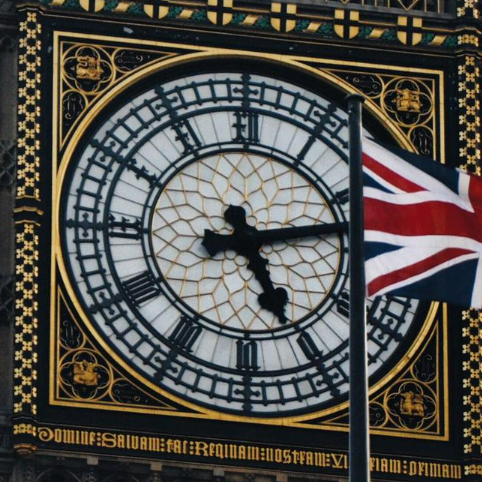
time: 5:12
